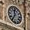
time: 11:35
